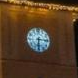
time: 6:14
